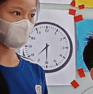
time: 7:30
